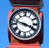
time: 3:47
